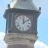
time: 12:09
